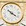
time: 4:21
